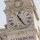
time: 11:25
